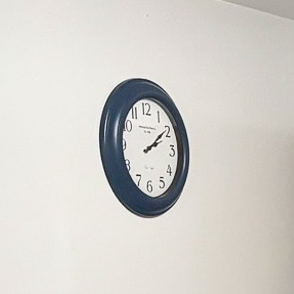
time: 2:09
